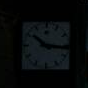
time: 10:16
